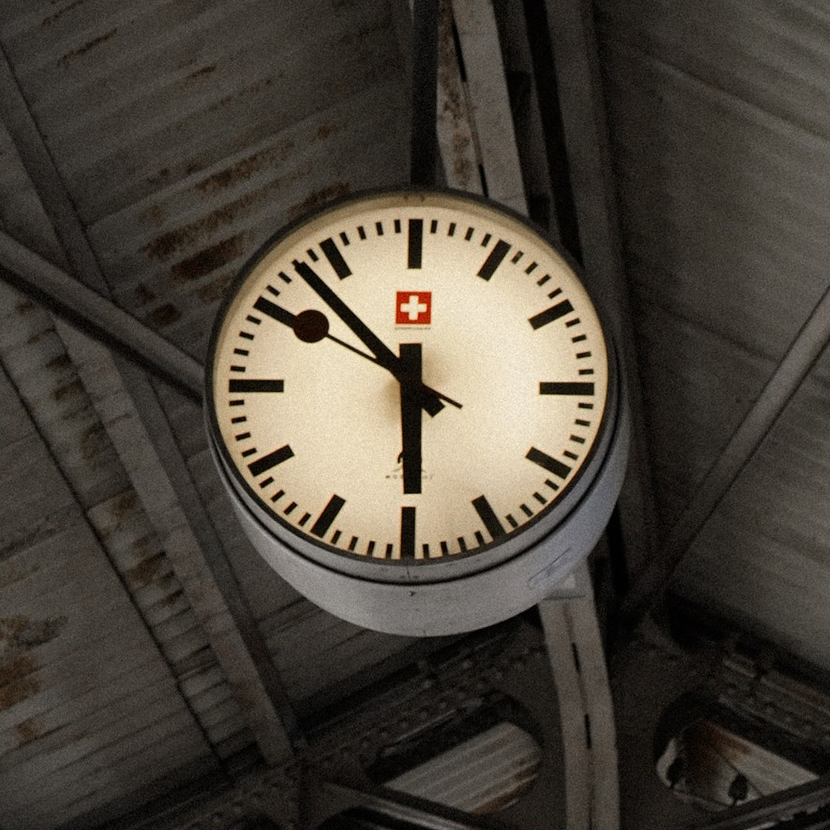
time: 5:52
